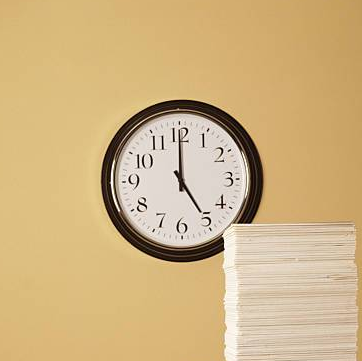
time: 5:00
